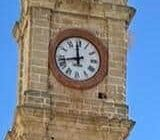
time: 11:42
